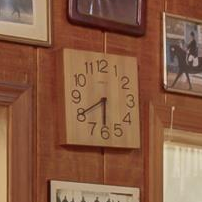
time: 5:40
